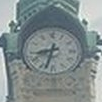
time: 8:33
